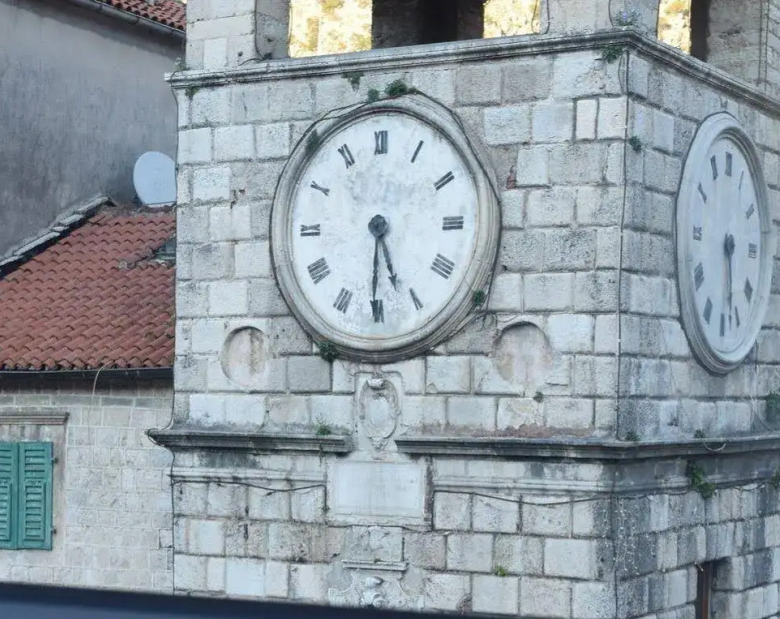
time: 5:30
